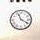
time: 11:19
